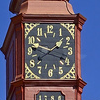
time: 1:47
